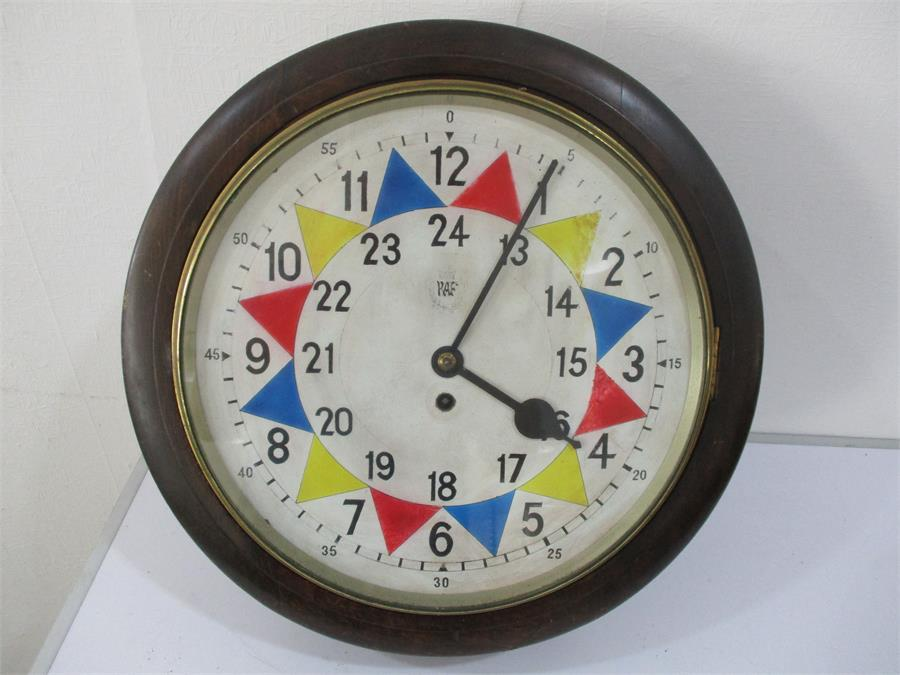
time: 4:04
